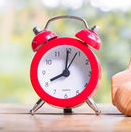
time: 8:01
